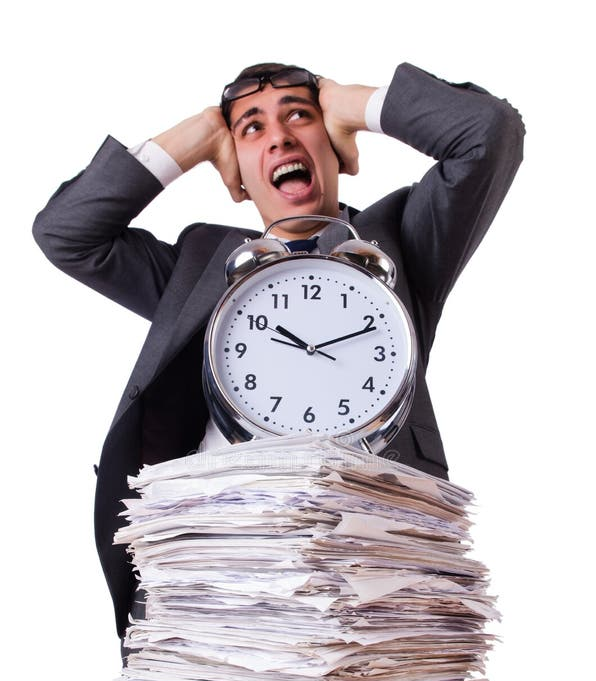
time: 10:11
